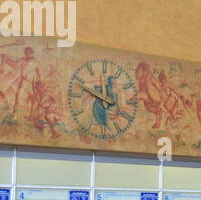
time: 11:48
